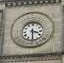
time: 3:29
